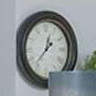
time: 12:37
